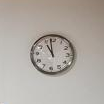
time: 10:58
